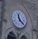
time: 11:22
